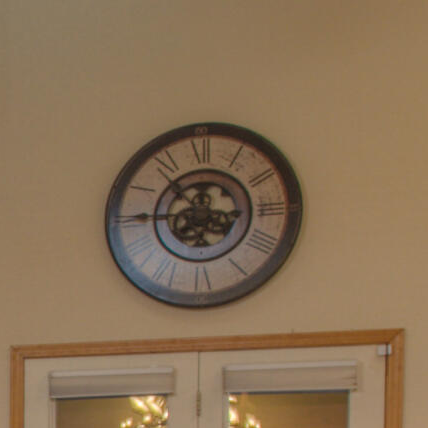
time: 10:45
